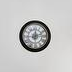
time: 12:12
